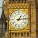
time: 1:13
